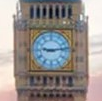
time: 9:13
